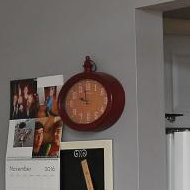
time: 9:59
